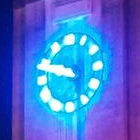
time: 9:48
